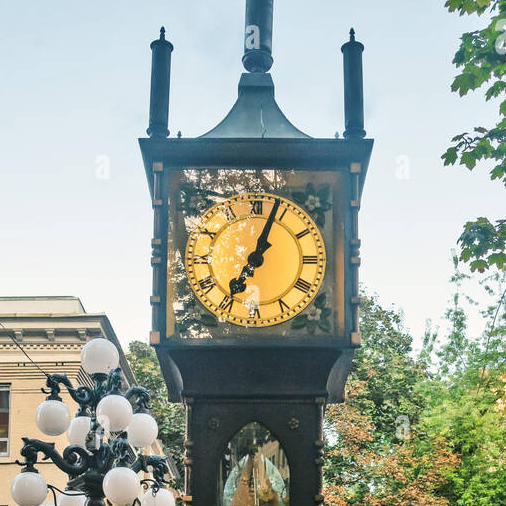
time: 7:03
